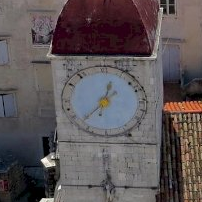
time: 12:37
